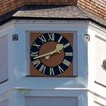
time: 1:42
